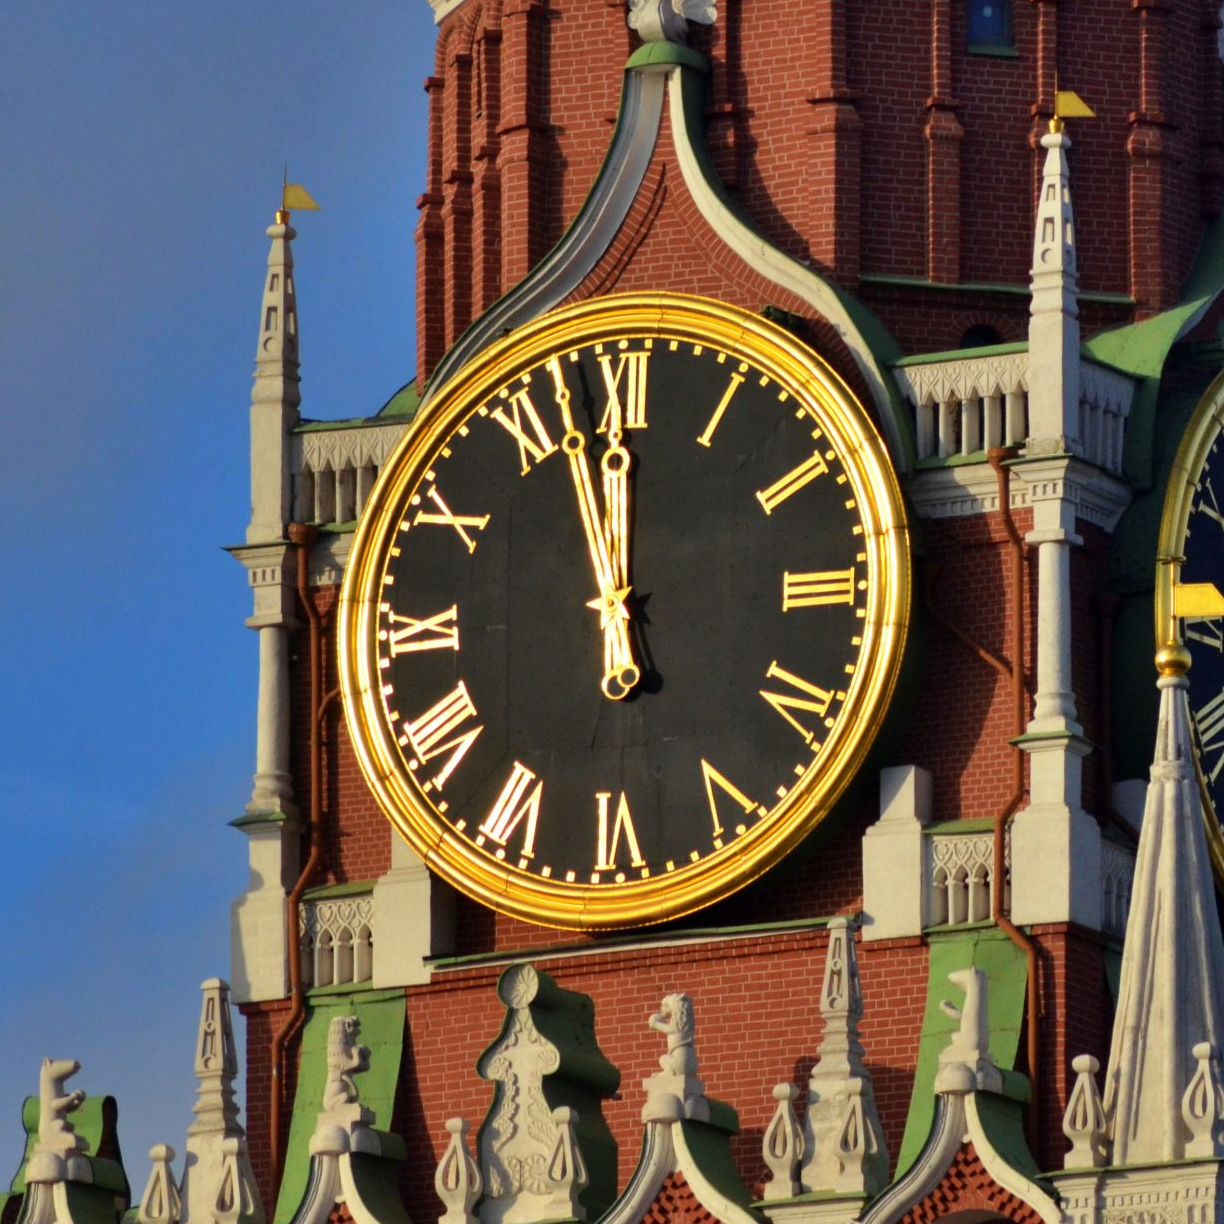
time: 11:57
